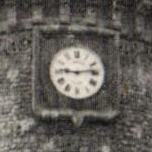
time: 9:13
